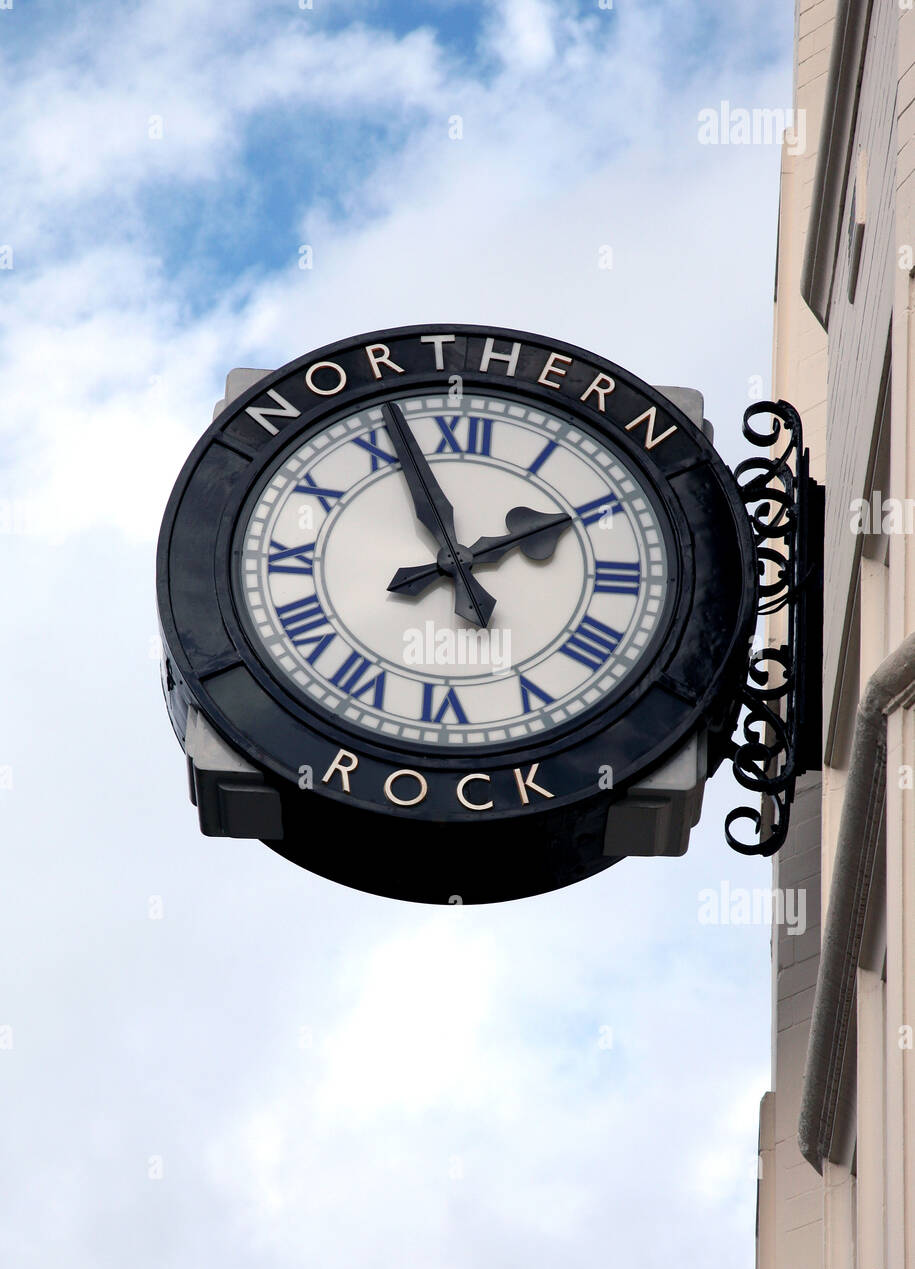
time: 1:56
